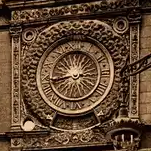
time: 8:43
